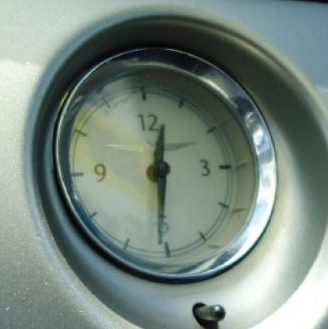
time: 12:30
